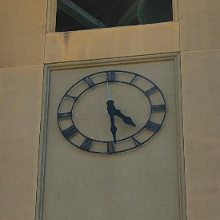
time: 4:29
